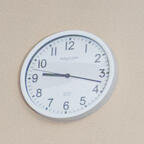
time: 9:17
